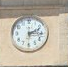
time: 2:15
